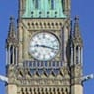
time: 9:17
